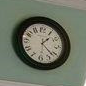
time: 1:21
